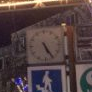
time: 5:25
